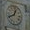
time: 12:40
